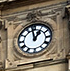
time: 12:58
